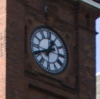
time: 12:40
